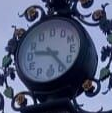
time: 9:23
